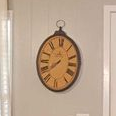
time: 7:37
